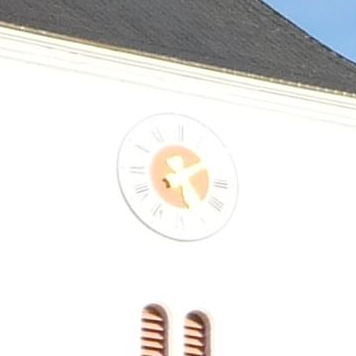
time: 5:09
